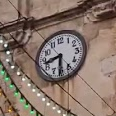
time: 8:30
